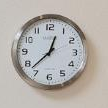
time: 12:37
